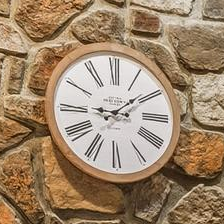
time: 9:08
